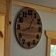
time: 12:42
